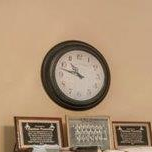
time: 10:47
